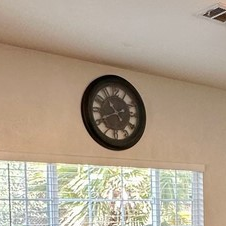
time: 10:40
